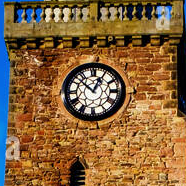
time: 12:52
